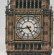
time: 4:42
